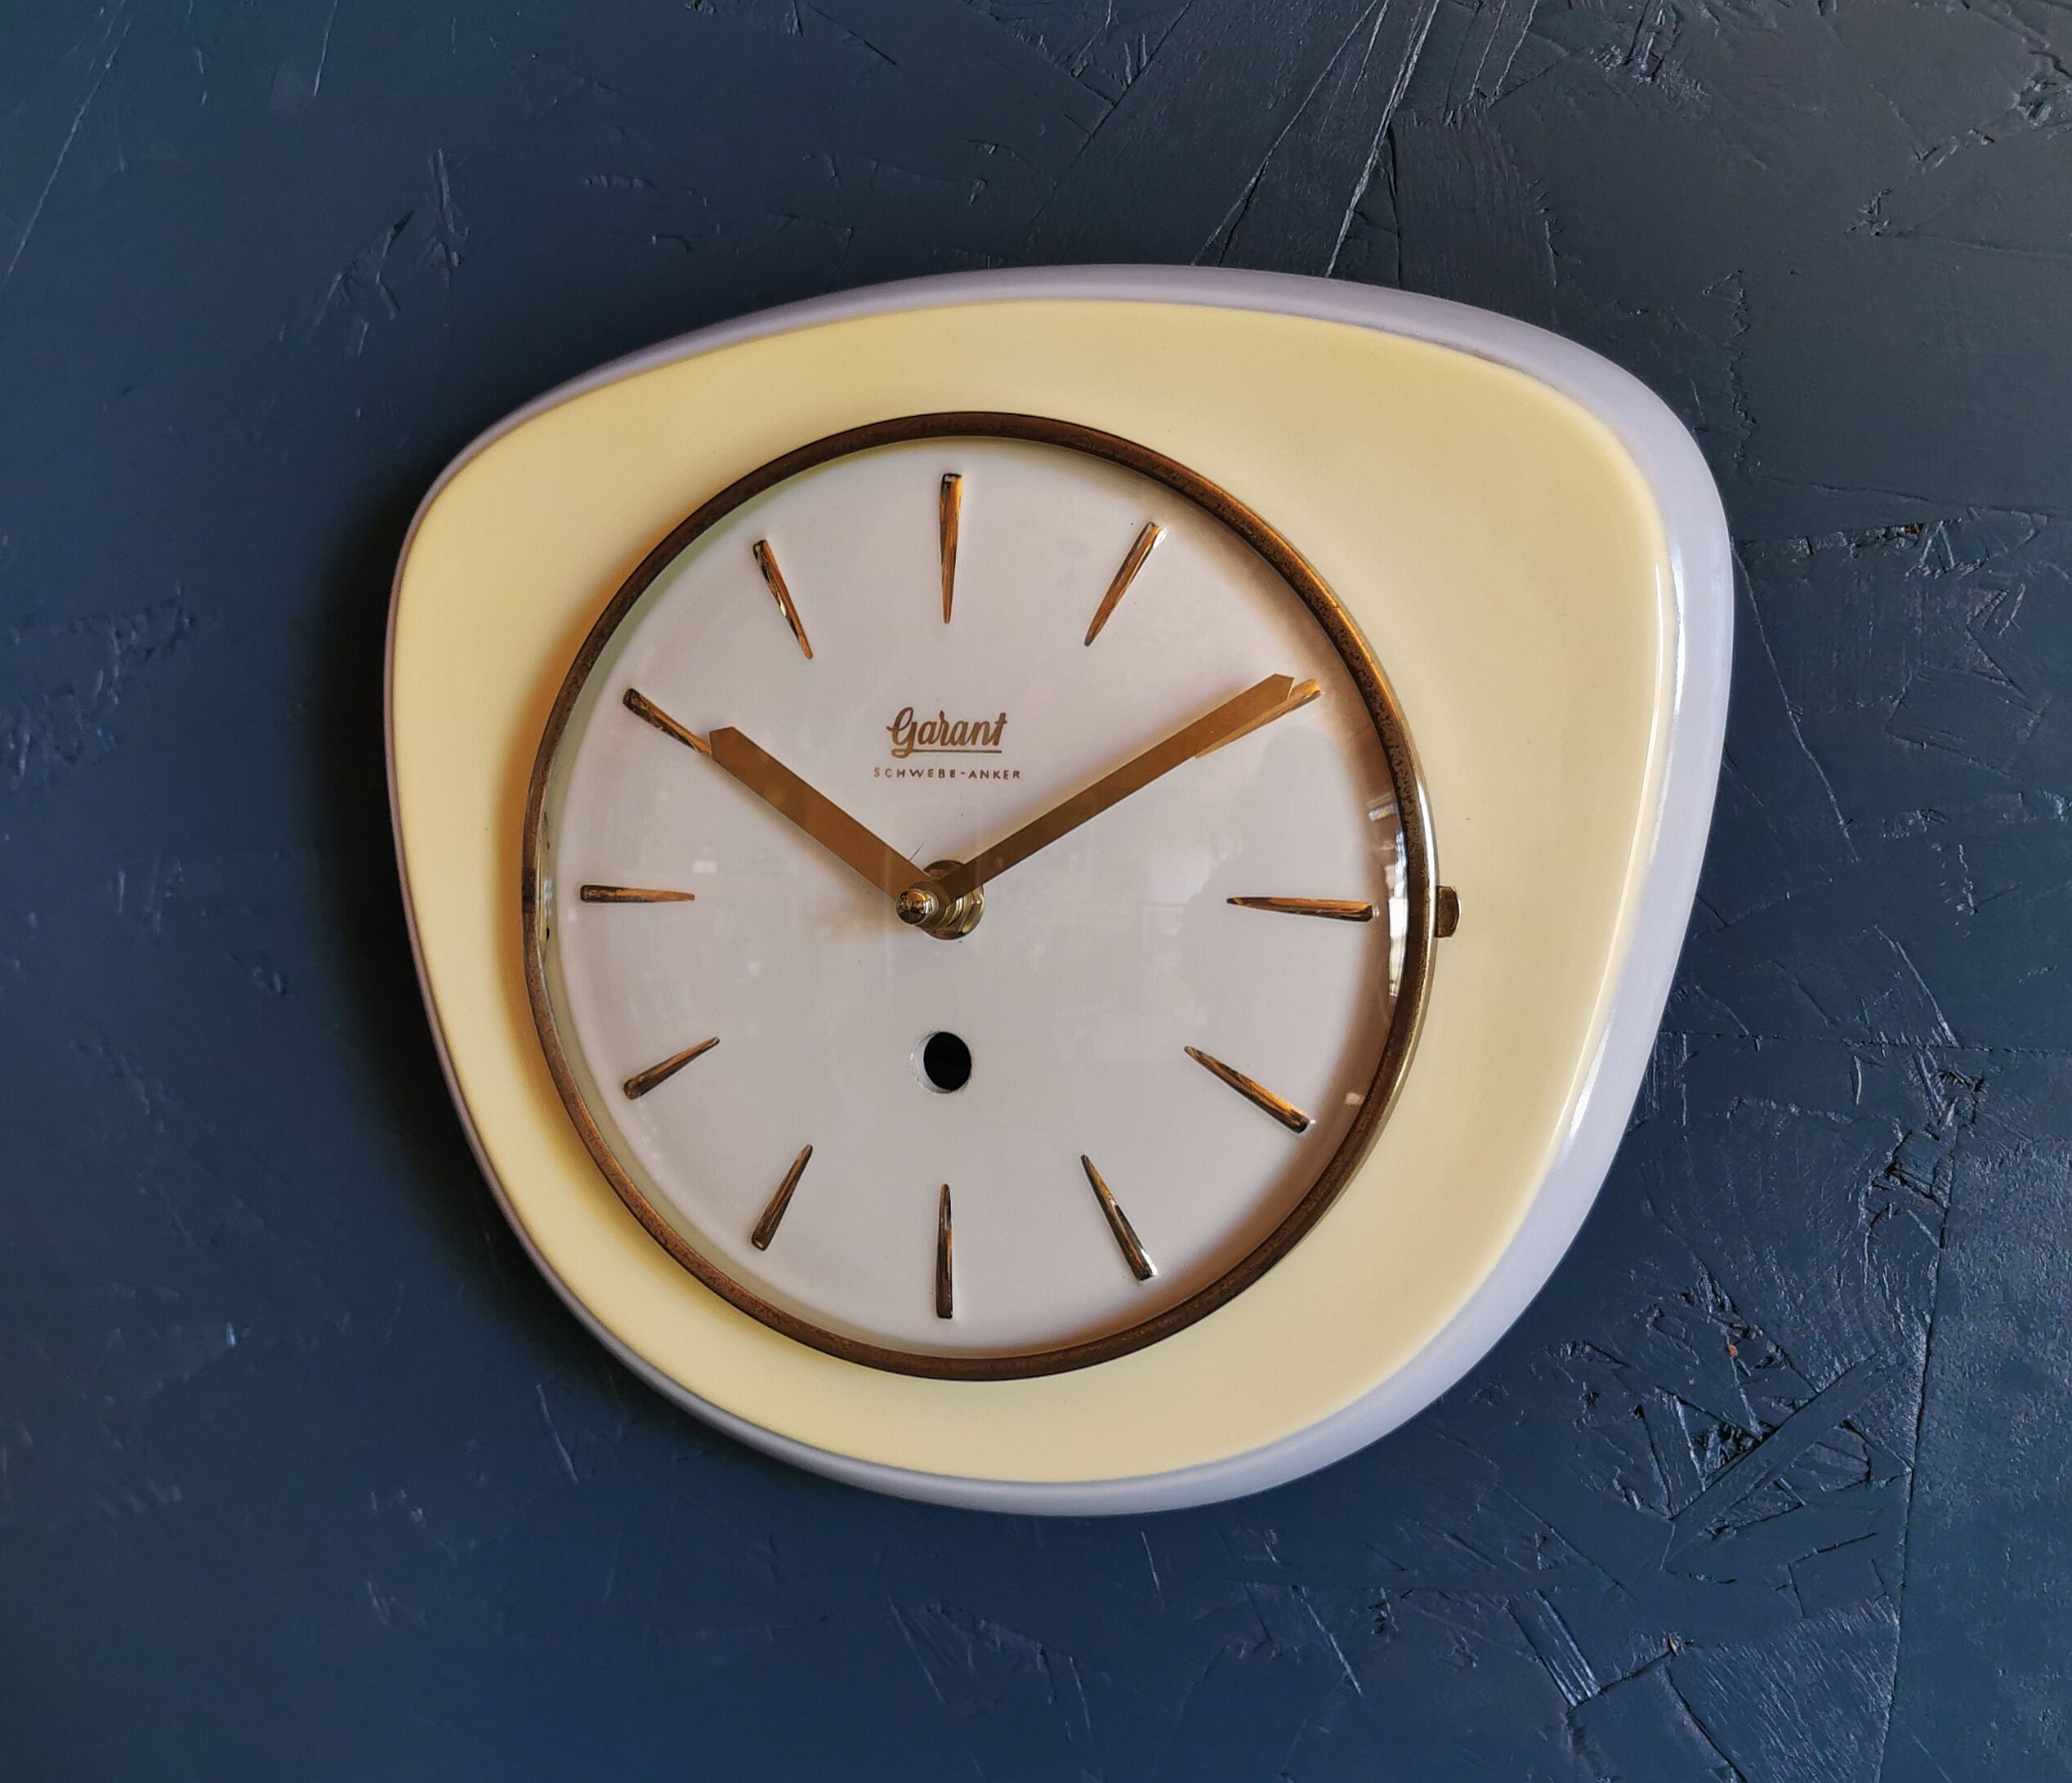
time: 10:09
